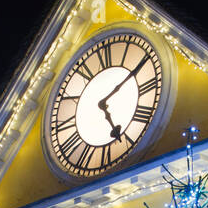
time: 5:10
